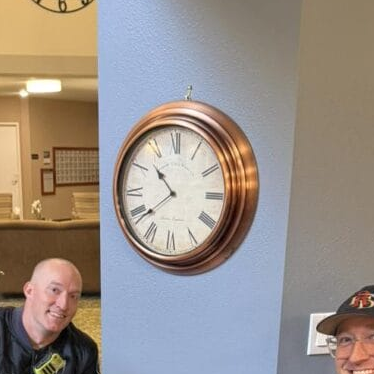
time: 10:38
